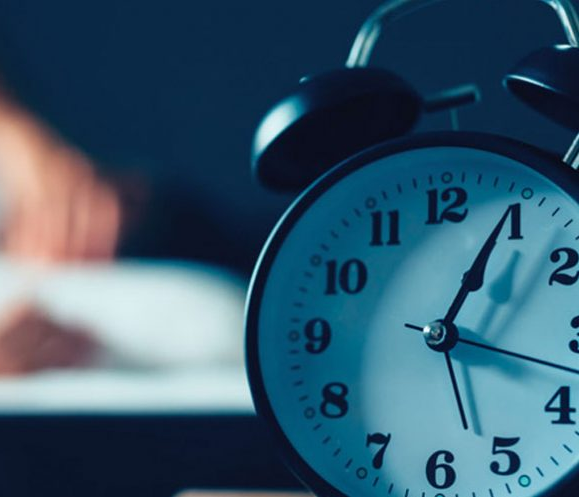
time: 1:18
